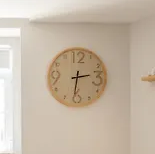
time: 2:31
